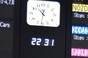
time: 10:31
